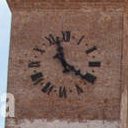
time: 11:21
